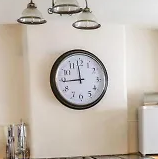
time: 11:44
